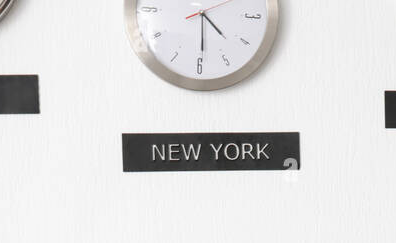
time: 4:29
